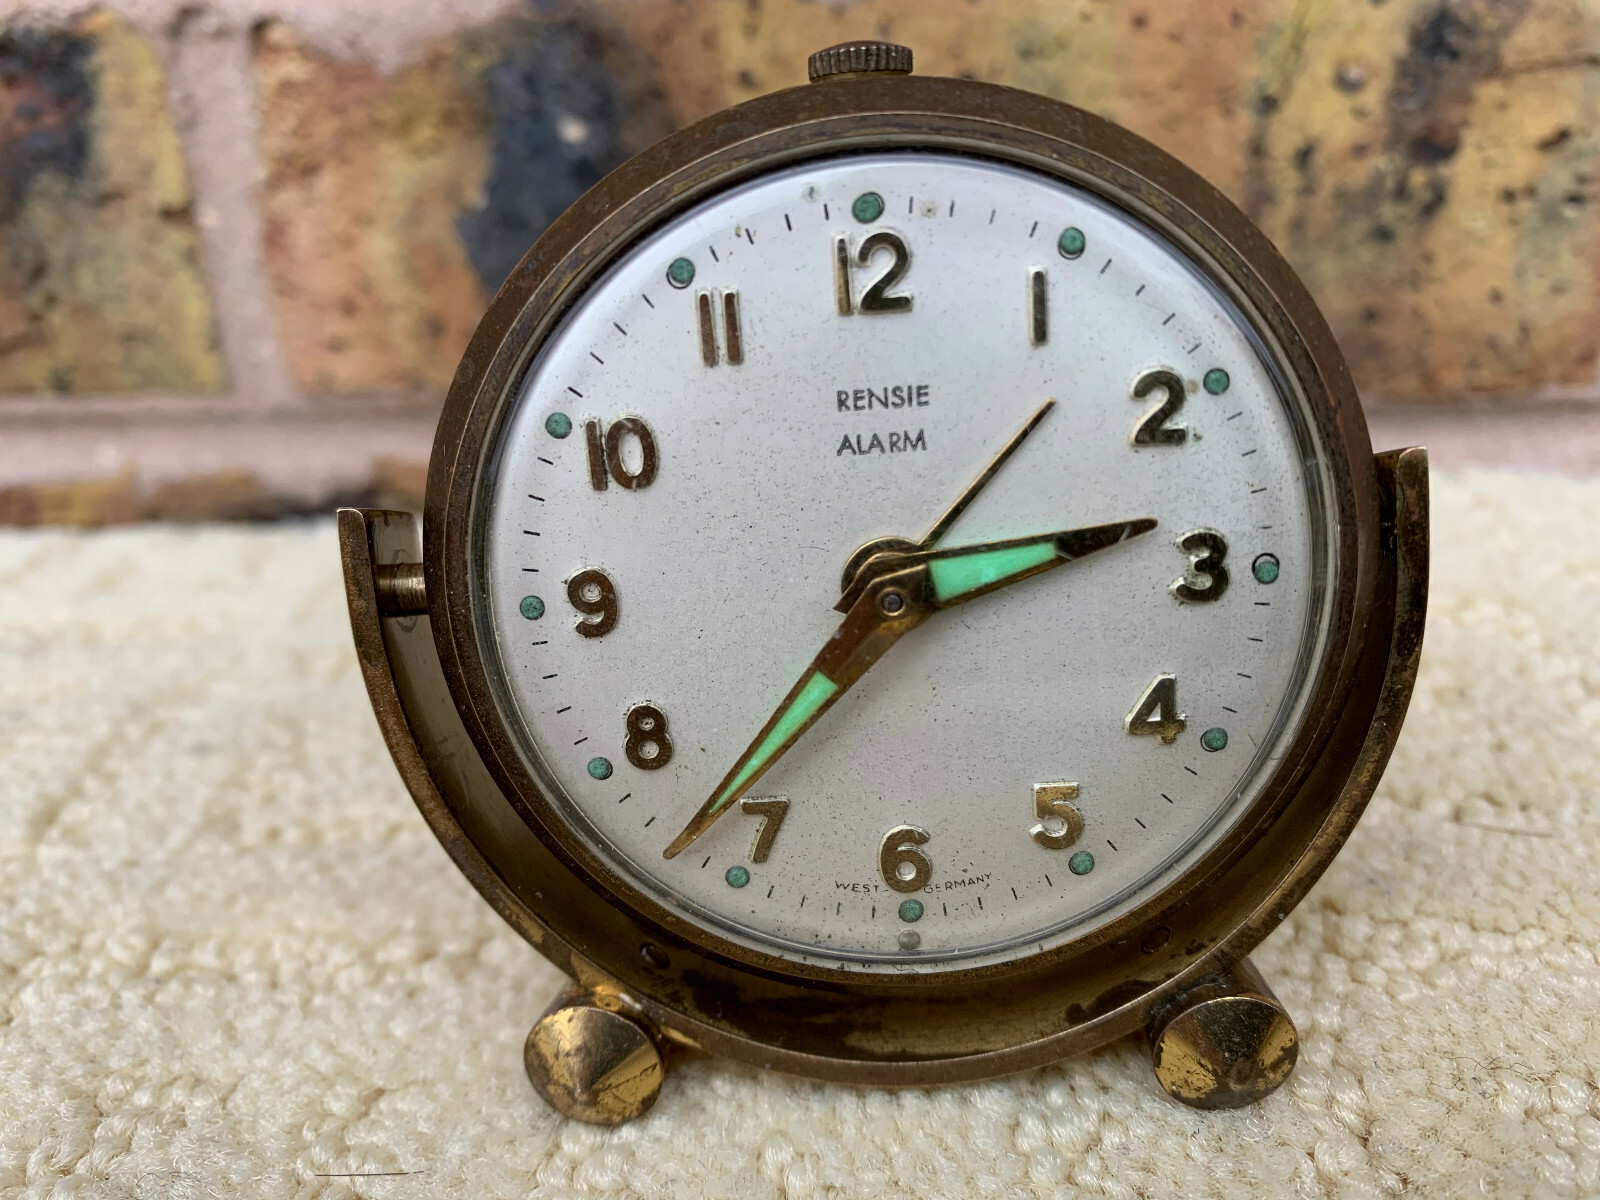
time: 2:36
